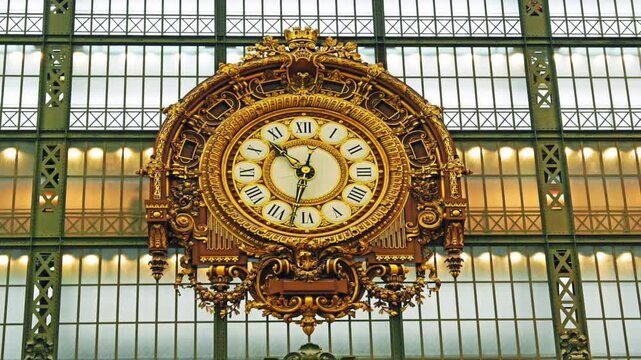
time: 10:32
